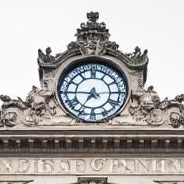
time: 7:14
